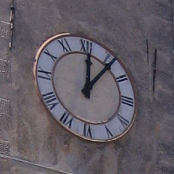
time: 12:06
